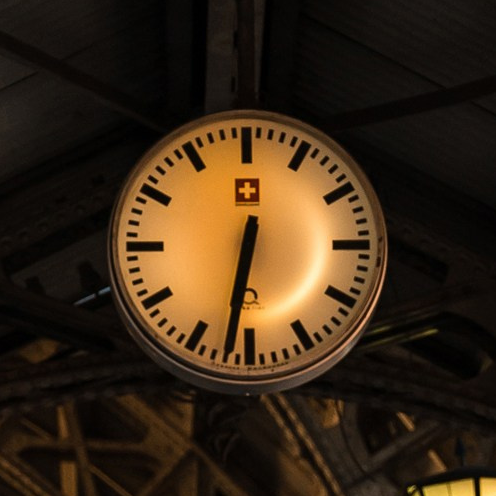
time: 6:32
